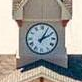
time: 2:04
